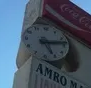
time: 5:12
